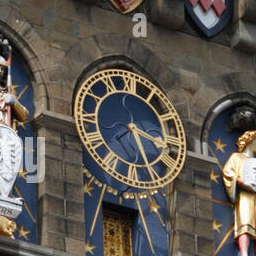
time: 3:26
